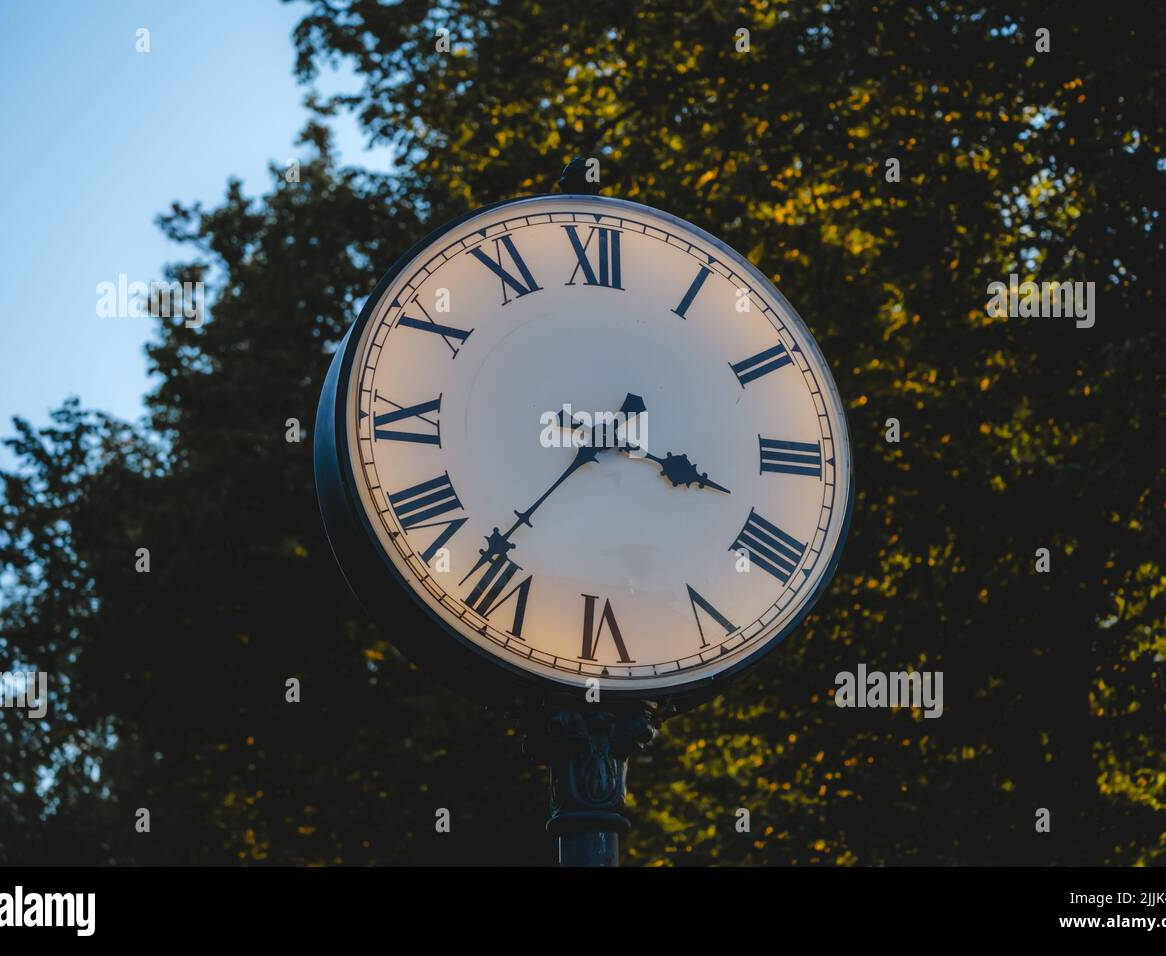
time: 3:36
